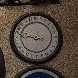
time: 8:46
